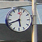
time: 5:41
